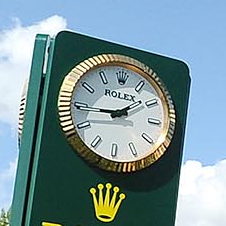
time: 1:44
